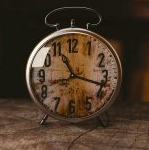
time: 11:17
